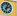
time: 2:03
